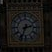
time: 2:33
